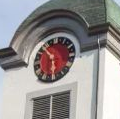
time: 10:28
